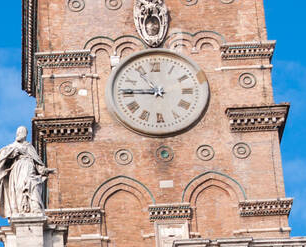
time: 10:45
